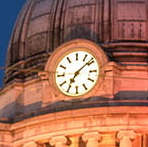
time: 7:08
